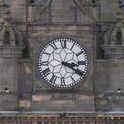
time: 3:20
